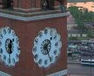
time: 1:25
